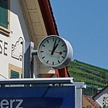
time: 1:02
